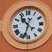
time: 10:33
